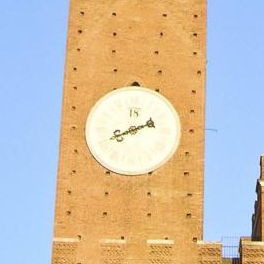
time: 8:11
